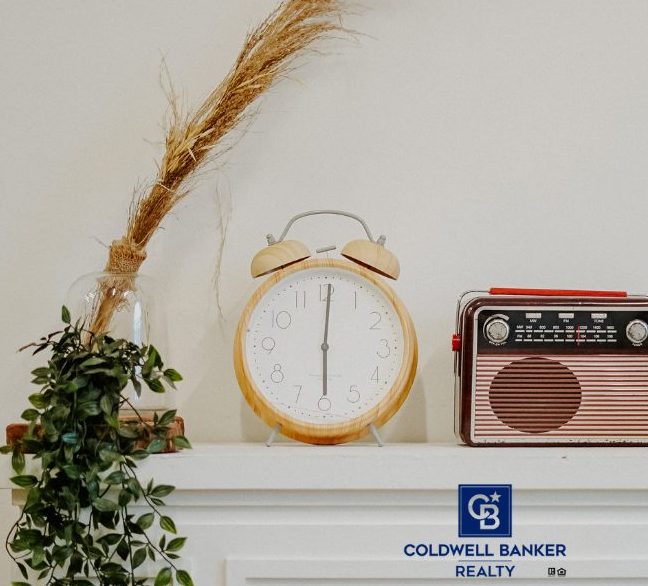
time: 6:00
